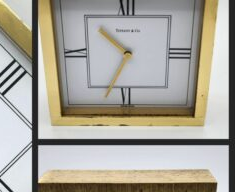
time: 10:34
